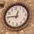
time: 12:46
